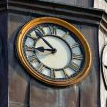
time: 8:52
